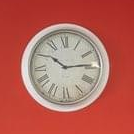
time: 10:14
